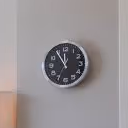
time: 11:54
